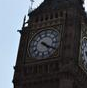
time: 4:19
